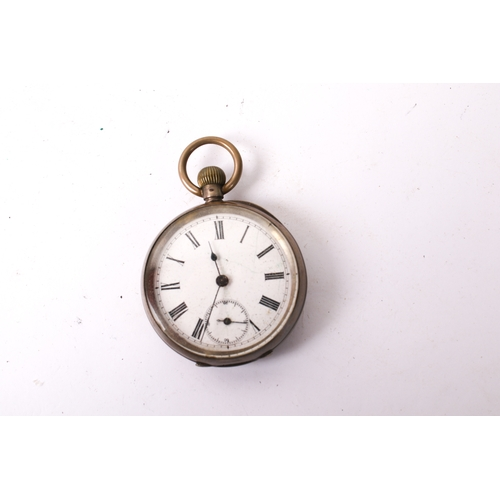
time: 11:34
